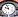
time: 9:56
